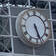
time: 5:26
